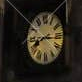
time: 8:15
